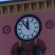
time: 11:53
